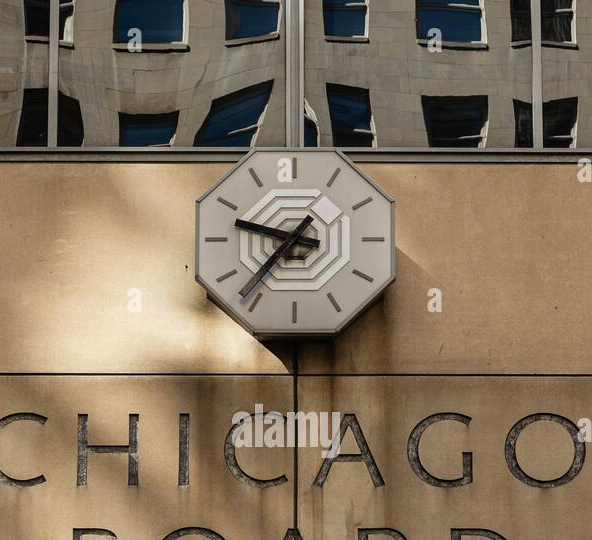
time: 9:36
